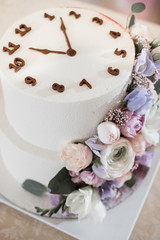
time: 8:57
